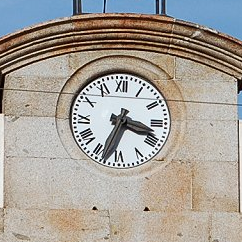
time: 3:34
